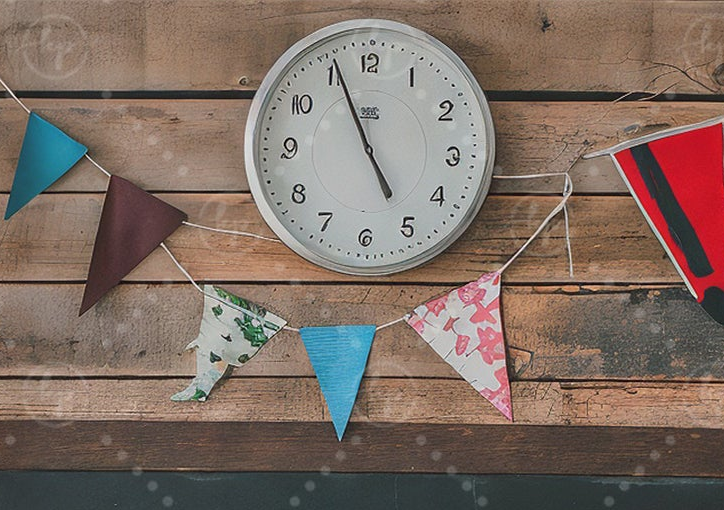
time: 4:56
